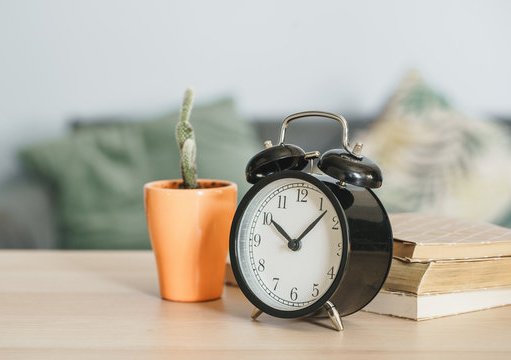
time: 10:07
